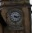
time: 4:14
